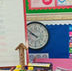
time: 9:50
